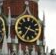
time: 3:34
